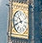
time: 10:41
